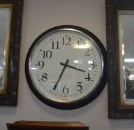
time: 3:34
